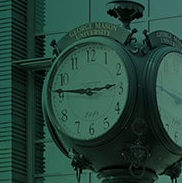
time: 2:46
